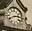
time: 2:40
